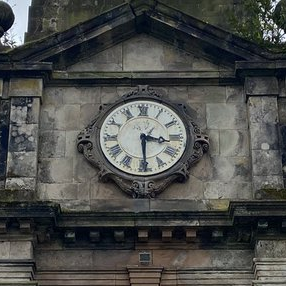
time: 3:29
